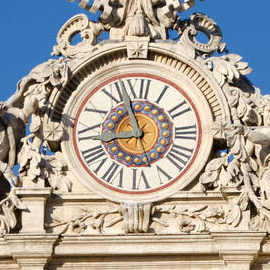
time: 8:57
